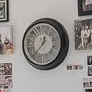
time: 12:36
